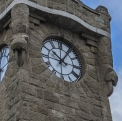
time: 10:06
